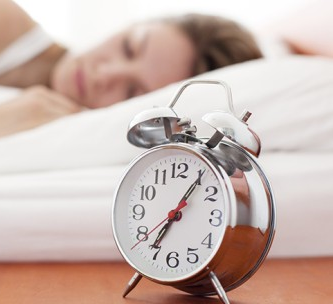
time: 7:06
